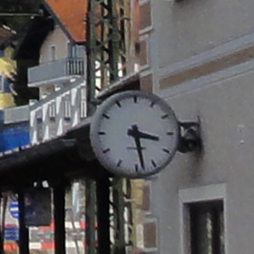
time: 3:28
